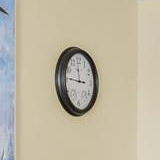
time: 11:46
